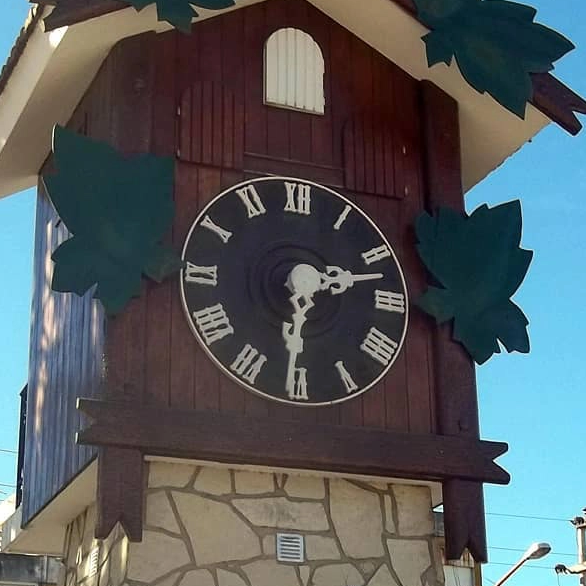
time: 2:30
